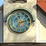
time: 7:12
